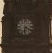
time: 6:21
